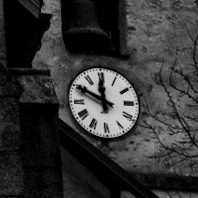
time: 11:49
